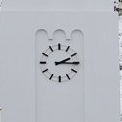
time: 2:15
